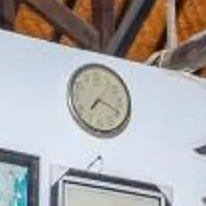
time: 7:19
